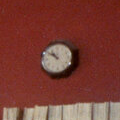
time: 10:51
